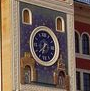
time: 6:38
